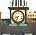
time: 8:33
